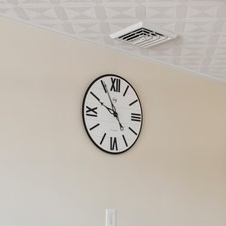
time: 9:55
